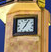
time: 7:04
